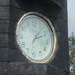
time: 2:06
